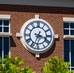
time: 3:34
